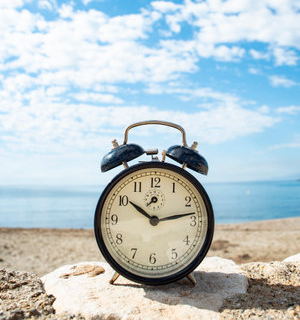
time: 10:13
